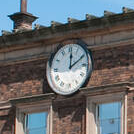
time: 12:10
